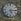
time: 5:14
